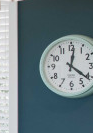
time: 12:21
